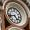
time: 4:42
